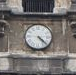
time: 4:21
